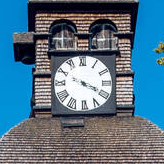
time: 3:48
